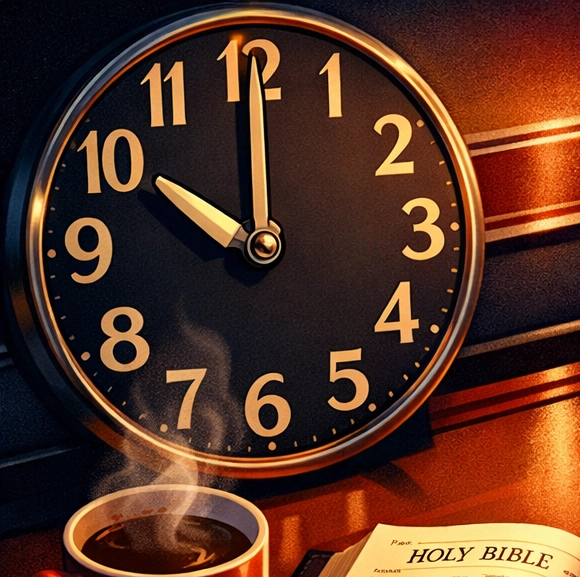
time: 10:00
